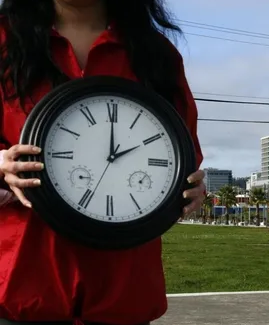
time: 2:00
